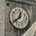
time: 12:38
